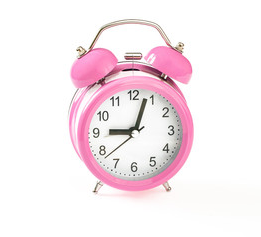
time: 9:03
